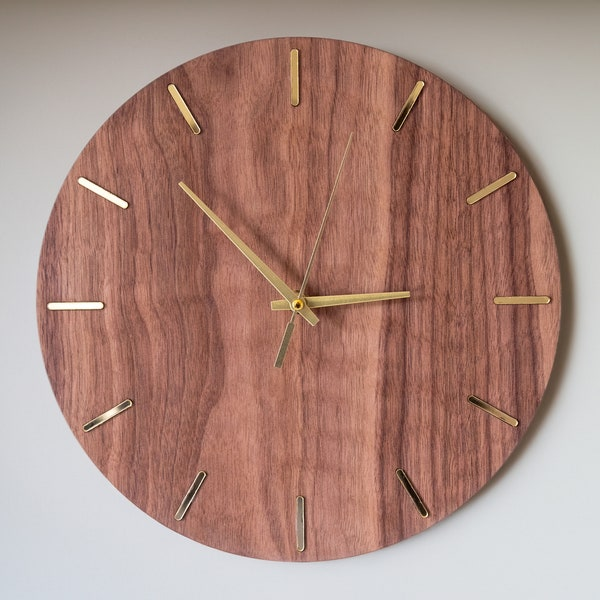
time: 2:52
